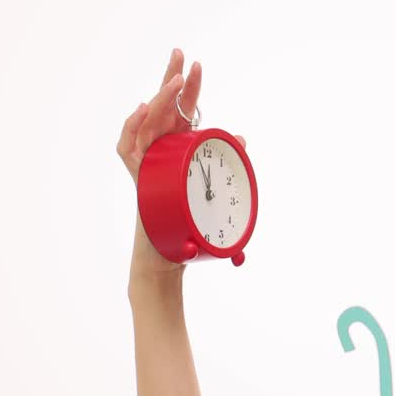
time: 11:55
